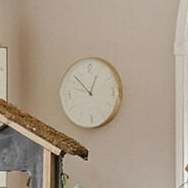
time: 12:52
